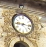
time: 9:16
